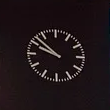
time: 9:52
